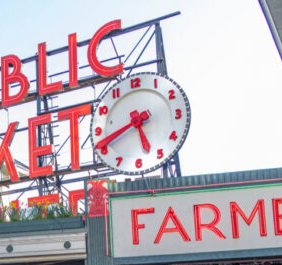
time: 5:41
